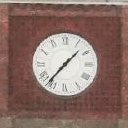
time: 1:36
